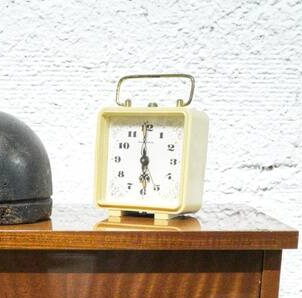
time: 5:59
